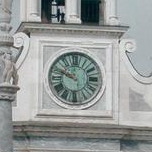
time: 9:48
